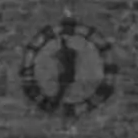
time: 11:33
